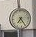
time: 7:24
